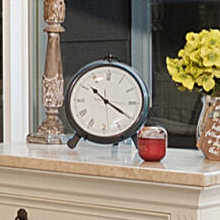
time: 10:20
